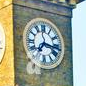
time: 7:16
